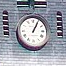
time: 1:04
